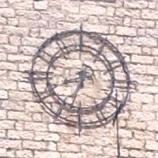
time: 8:33
